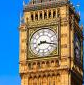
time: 8:17
